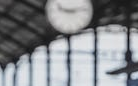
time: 9:12
